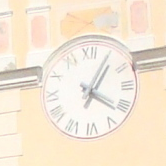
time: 4:05
